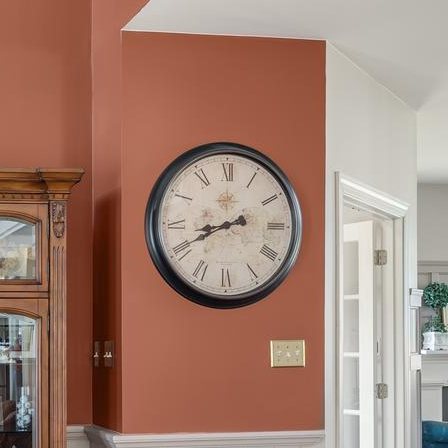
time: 8:40
